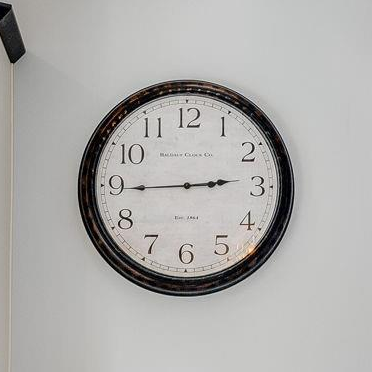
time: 2:44
